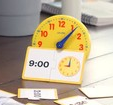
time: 1:06
